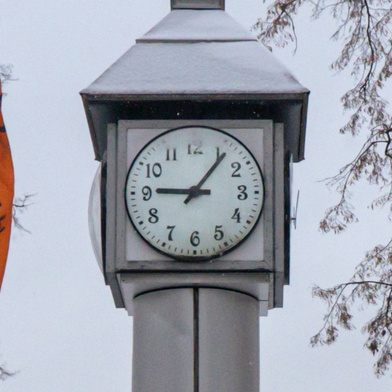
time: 9:06
